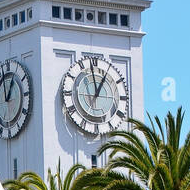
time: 12:58
